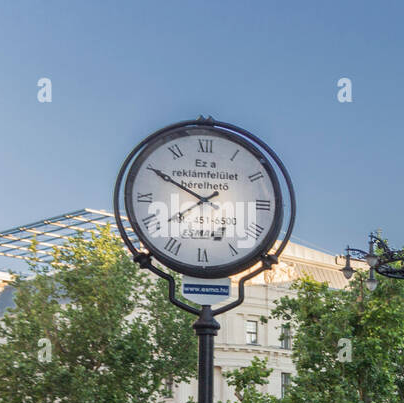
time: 1:50
